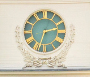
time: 2:33
